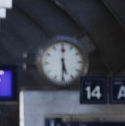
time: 5:30
